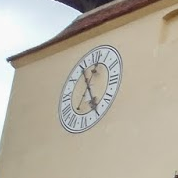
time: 4:54
